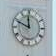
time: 11:49
